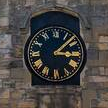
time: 3:08
